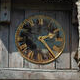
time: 2:23
